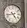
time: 4:42
